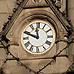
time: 11:48
